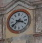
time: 3:38
